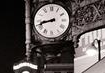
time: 8:42
